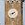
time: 1:42
